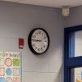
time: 8:45
